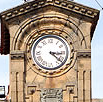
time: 3:21
